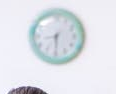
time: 8:29
